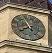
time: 7:55
